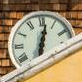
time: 6:01
